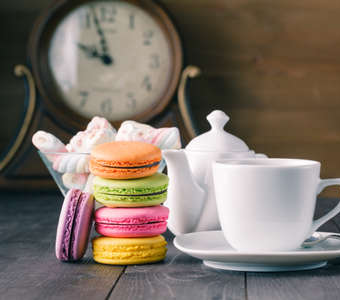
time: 9:57
